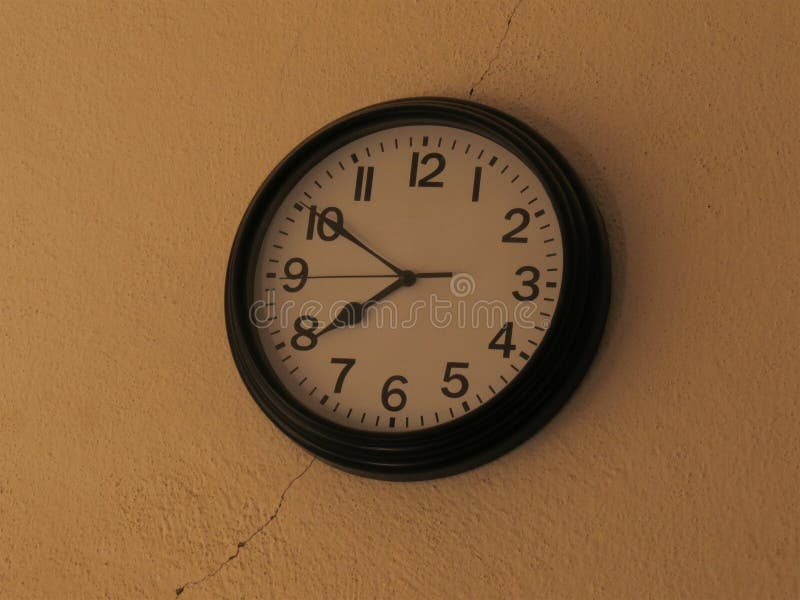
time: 7:50
